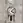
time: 4:07
